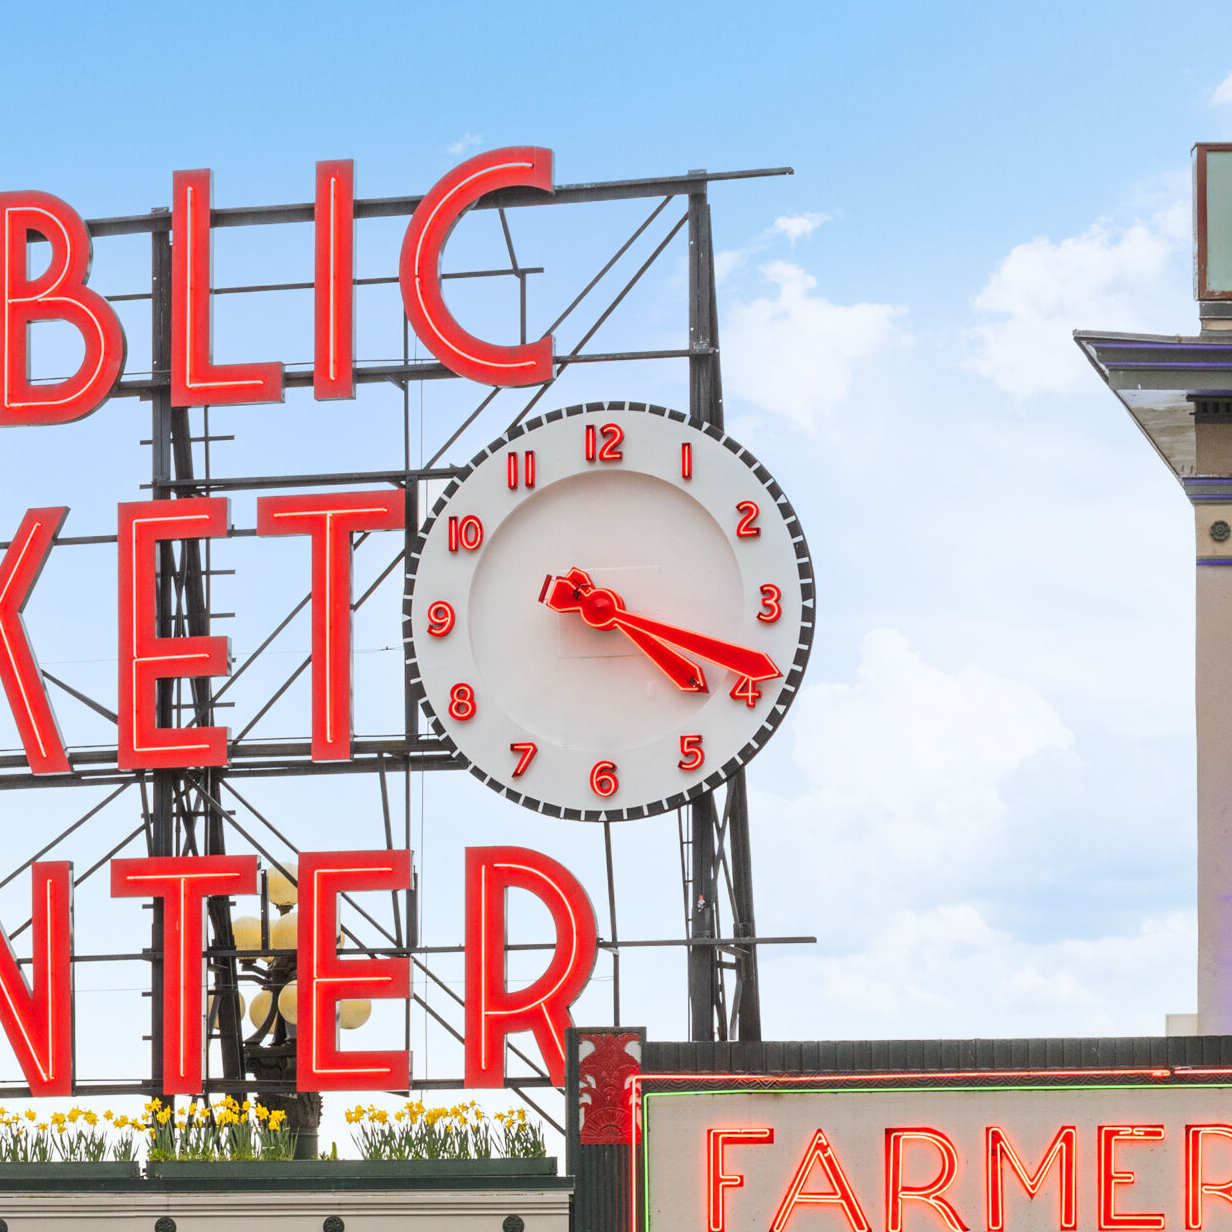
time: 4:18
